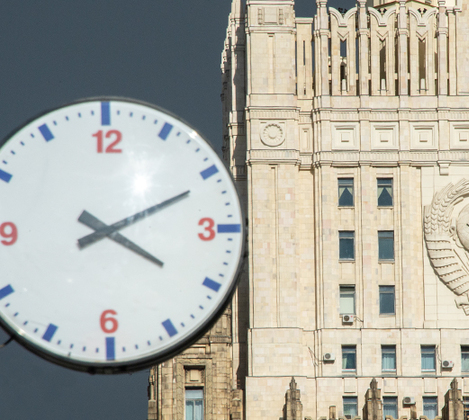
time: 4:10
